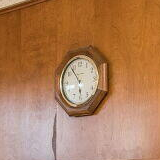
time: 5:53
